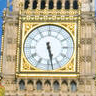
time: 5:28
